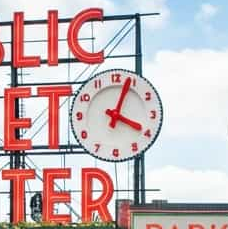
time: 4:03
